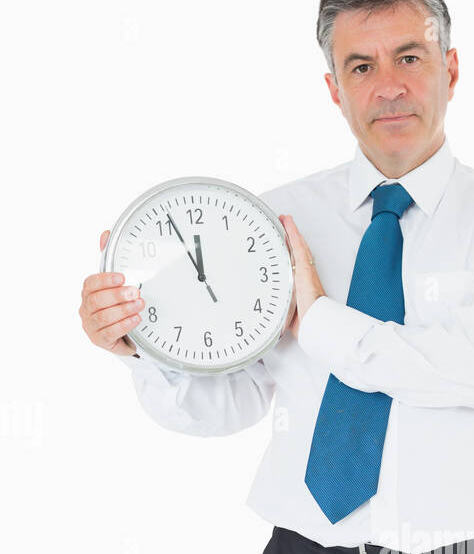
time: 11:55
